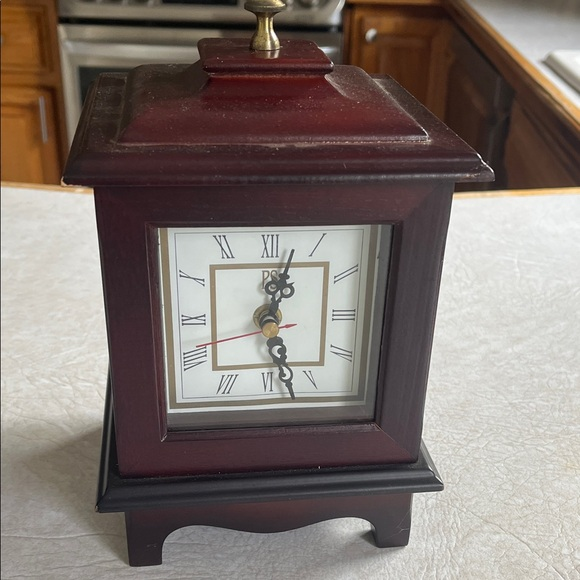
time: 12:26
